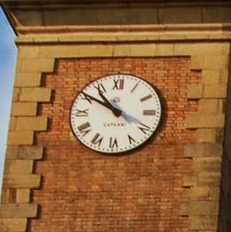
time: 10:50
